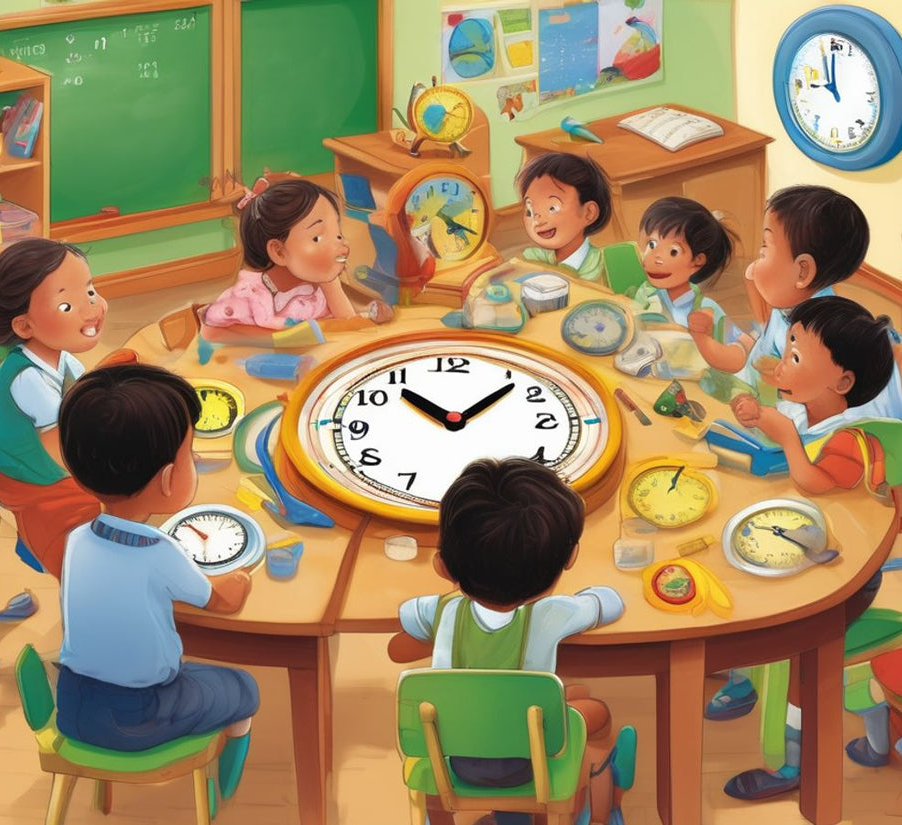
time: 10:07
